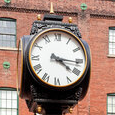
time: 4:15
